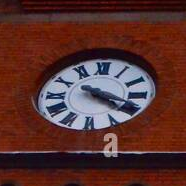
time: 4:18
